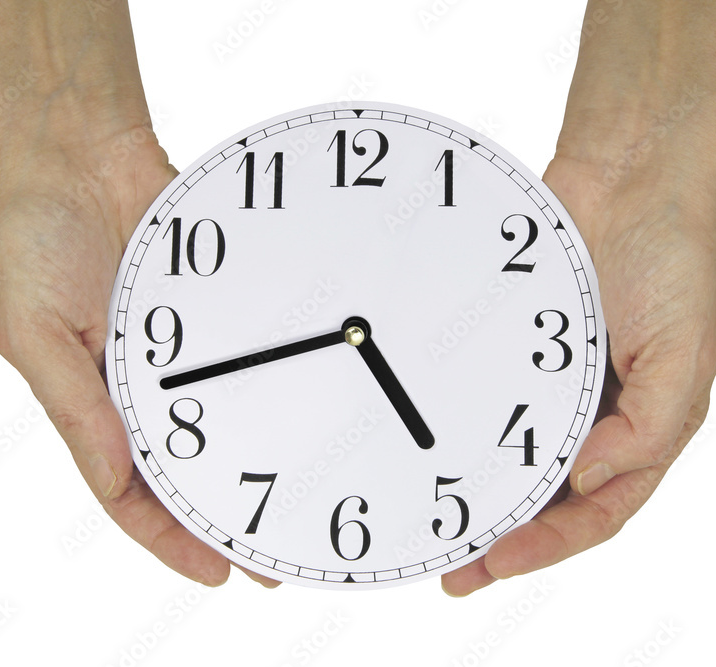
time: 4:42
